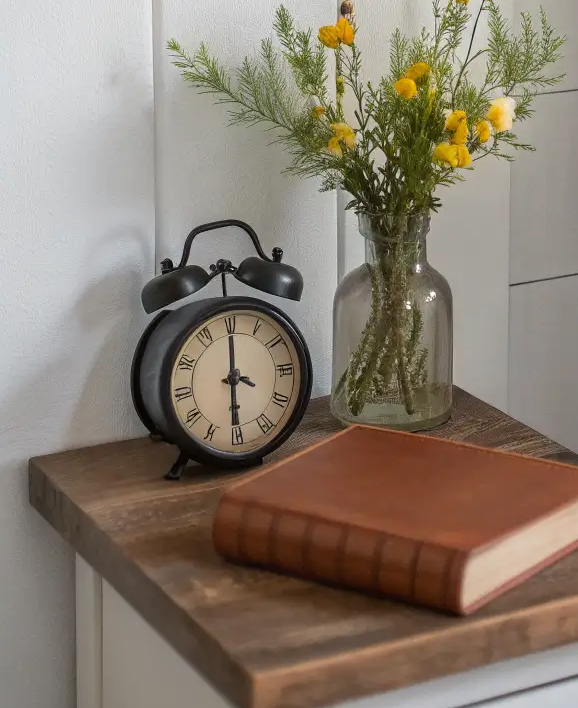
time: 6:00
